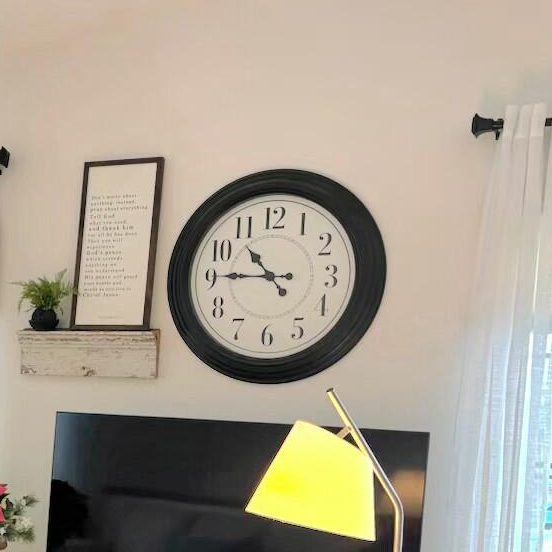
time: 10:45
